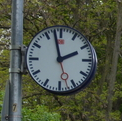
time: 1:57
